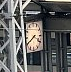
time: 3:40
